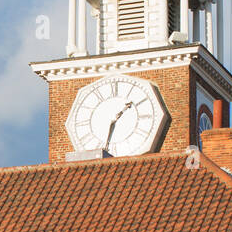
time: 1:32
